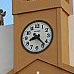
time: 8:23
